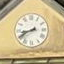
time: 8:40
